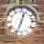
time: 12:33
